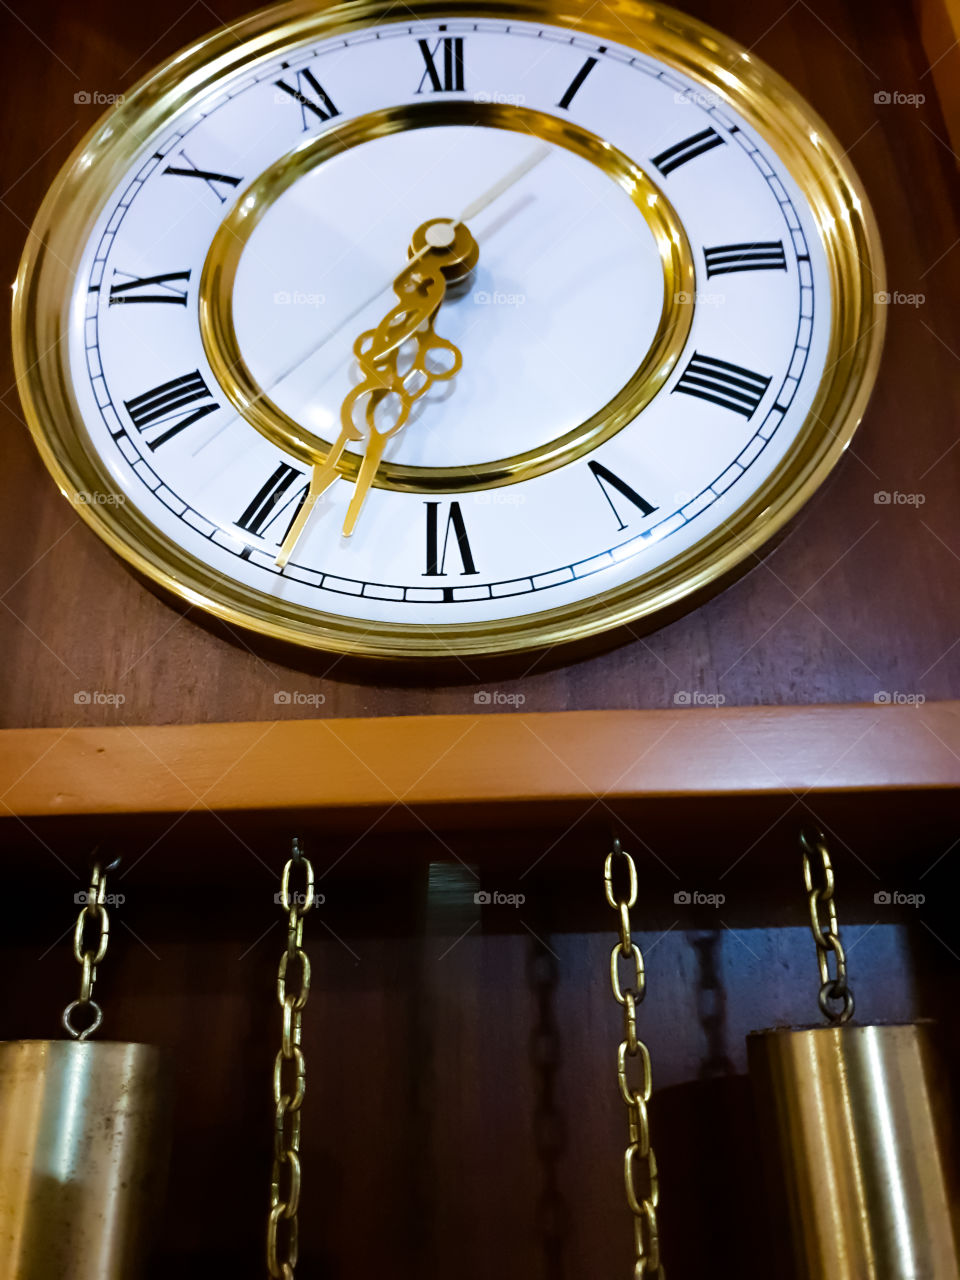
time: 6:32
